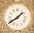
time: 1:39
